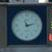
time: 11:12
